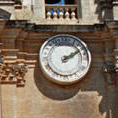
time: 2:09
